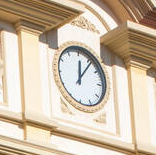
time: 12:06
